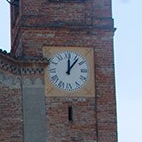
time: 12:06
